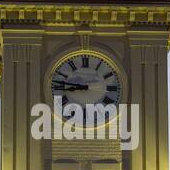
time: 8:46
